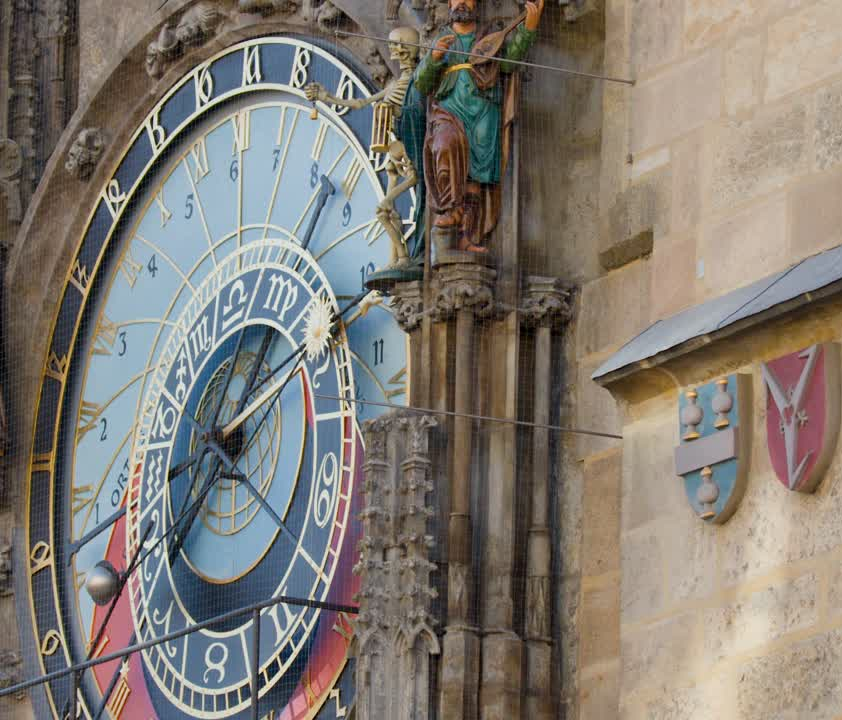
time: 12:37
